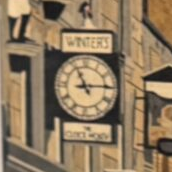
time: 11:14
